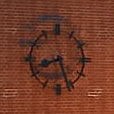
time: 8:26
